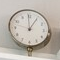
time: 12:59
